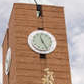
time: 11:25
